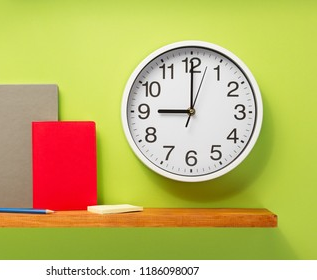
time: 9:00
